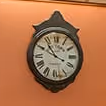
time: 10:49
